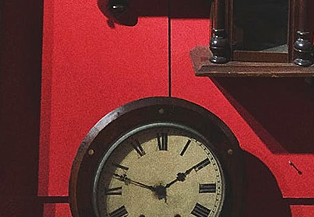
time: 1:48
